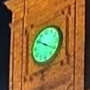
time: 10:20
